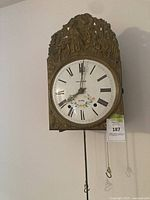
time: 8:00
